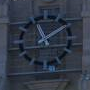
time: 11:09
